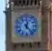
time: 12:23
